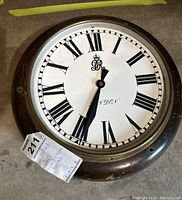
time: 6:34
